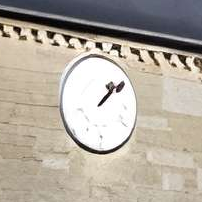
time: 1:08
